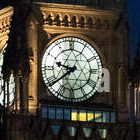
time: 9:38
